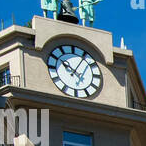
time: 10:05
